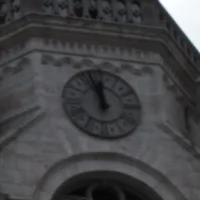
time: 11:56
